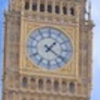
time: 1:21
